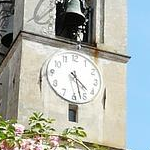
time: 4:27
